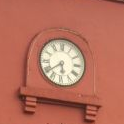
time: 5:39
